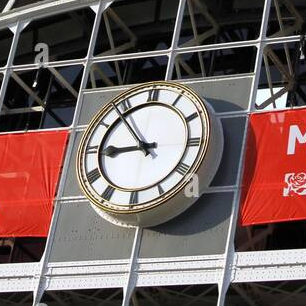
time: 8:53
